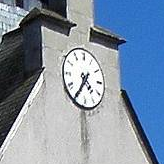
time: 4:35
